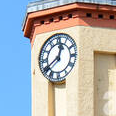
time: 12:39
